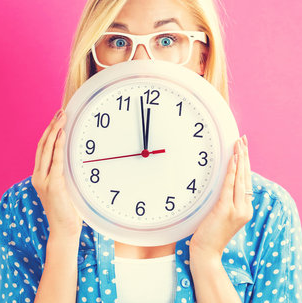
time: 11:58
